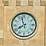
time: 7:57
